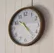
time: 10:23
